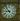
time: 8:53
